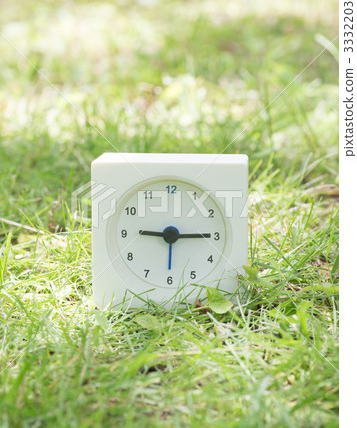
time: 9:15
